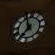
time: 6:56
